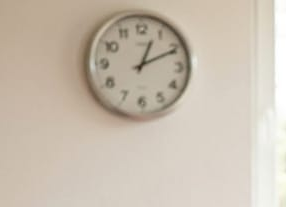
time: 1:10
